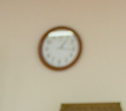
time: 1:16
